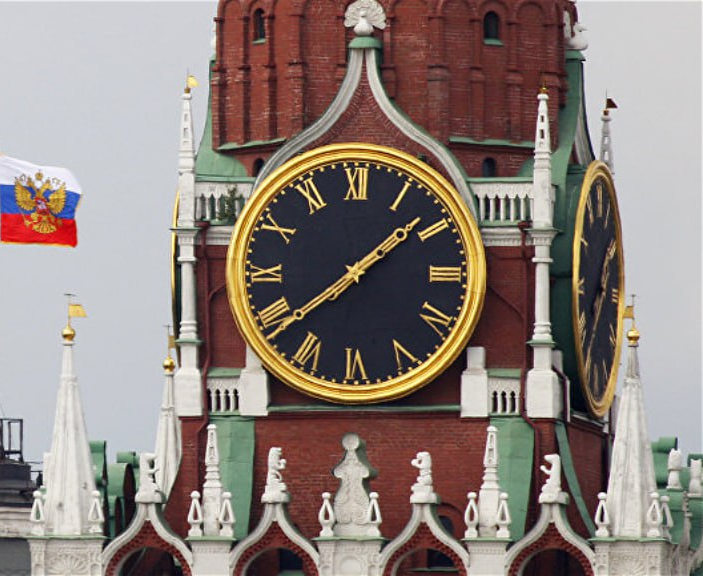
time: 1:38
